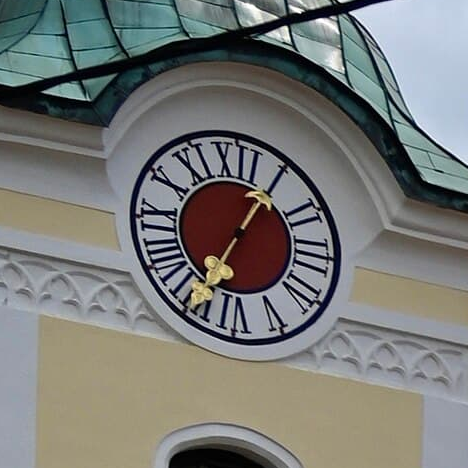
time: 7:05
